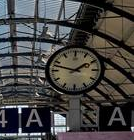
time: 1:47
